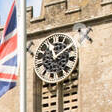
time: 11:08
